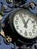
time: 12:57
